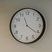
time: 11:21
